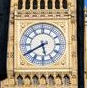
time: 5:40
